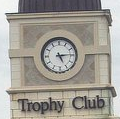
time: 5:14
